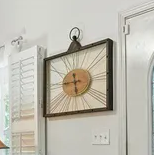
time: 11:45
